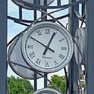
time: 12:50
